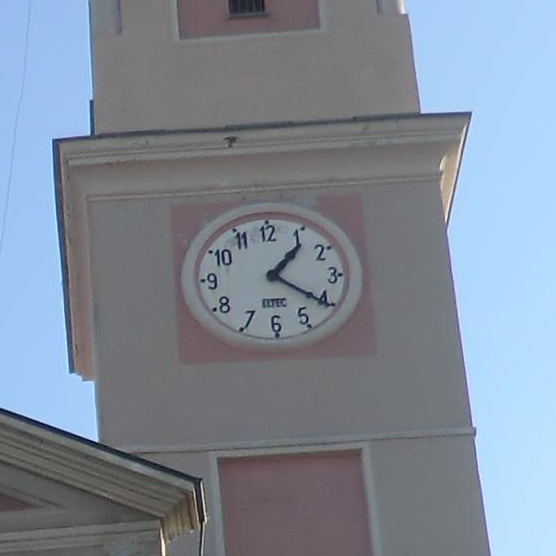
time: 1:20
